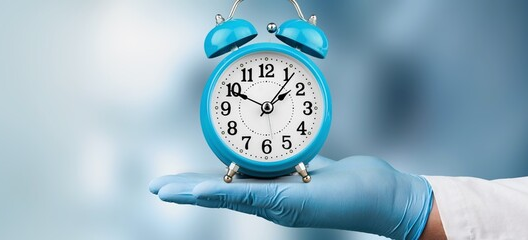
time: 1:49
